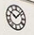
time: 10:07
